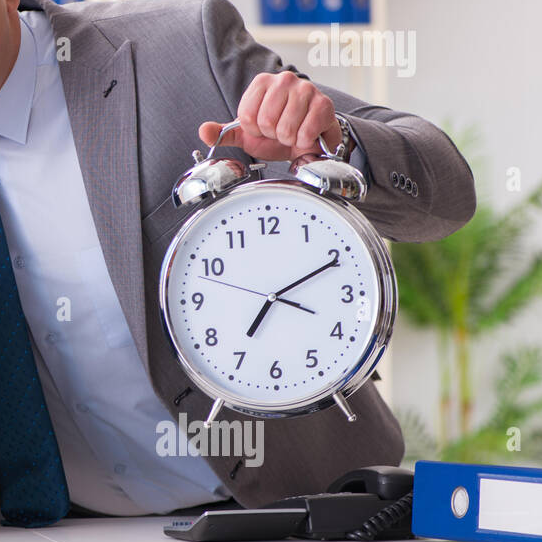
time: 7:10
